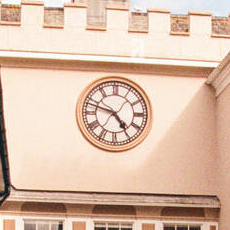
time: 4:47
